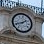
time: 1:41
